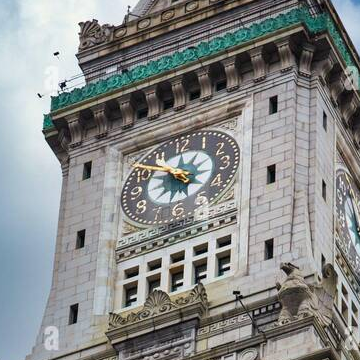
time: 12:52
